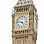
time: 4:46
